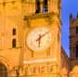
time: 6:08
